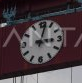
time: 3:01
